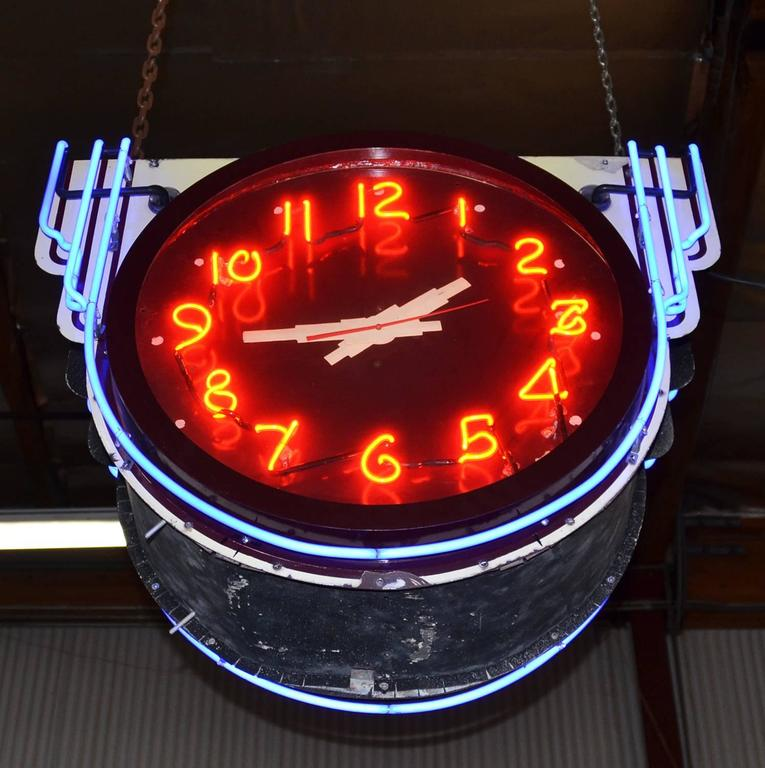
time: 1:44
